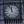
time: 11:56
